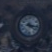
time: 4:16
